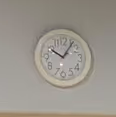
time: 10:06
